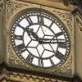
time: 10:13
